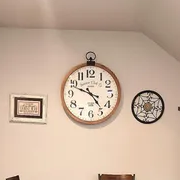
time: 4:48
